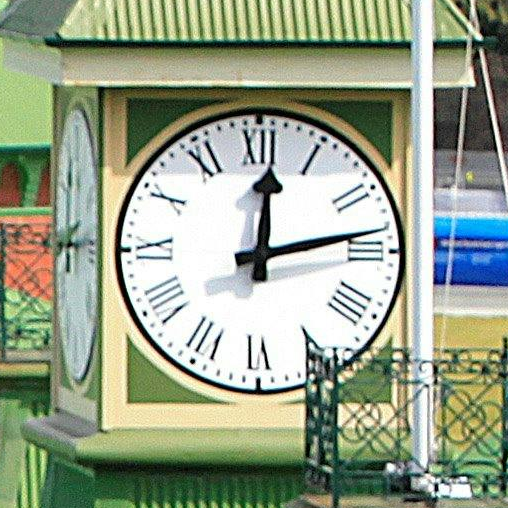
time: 12:13
